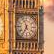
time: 6:56
